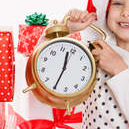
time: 12:34
